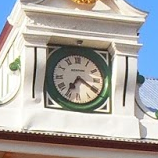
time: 7:20
